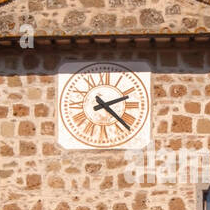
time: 2:22
